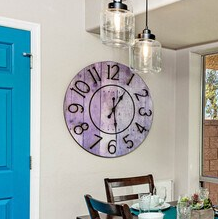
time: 1:28
